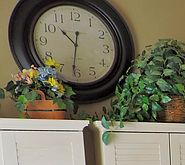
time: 10:31
